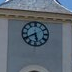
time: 5:40
